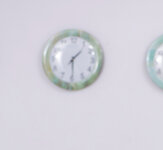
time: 1:29
